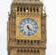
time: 4:28
